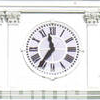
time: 11:35
